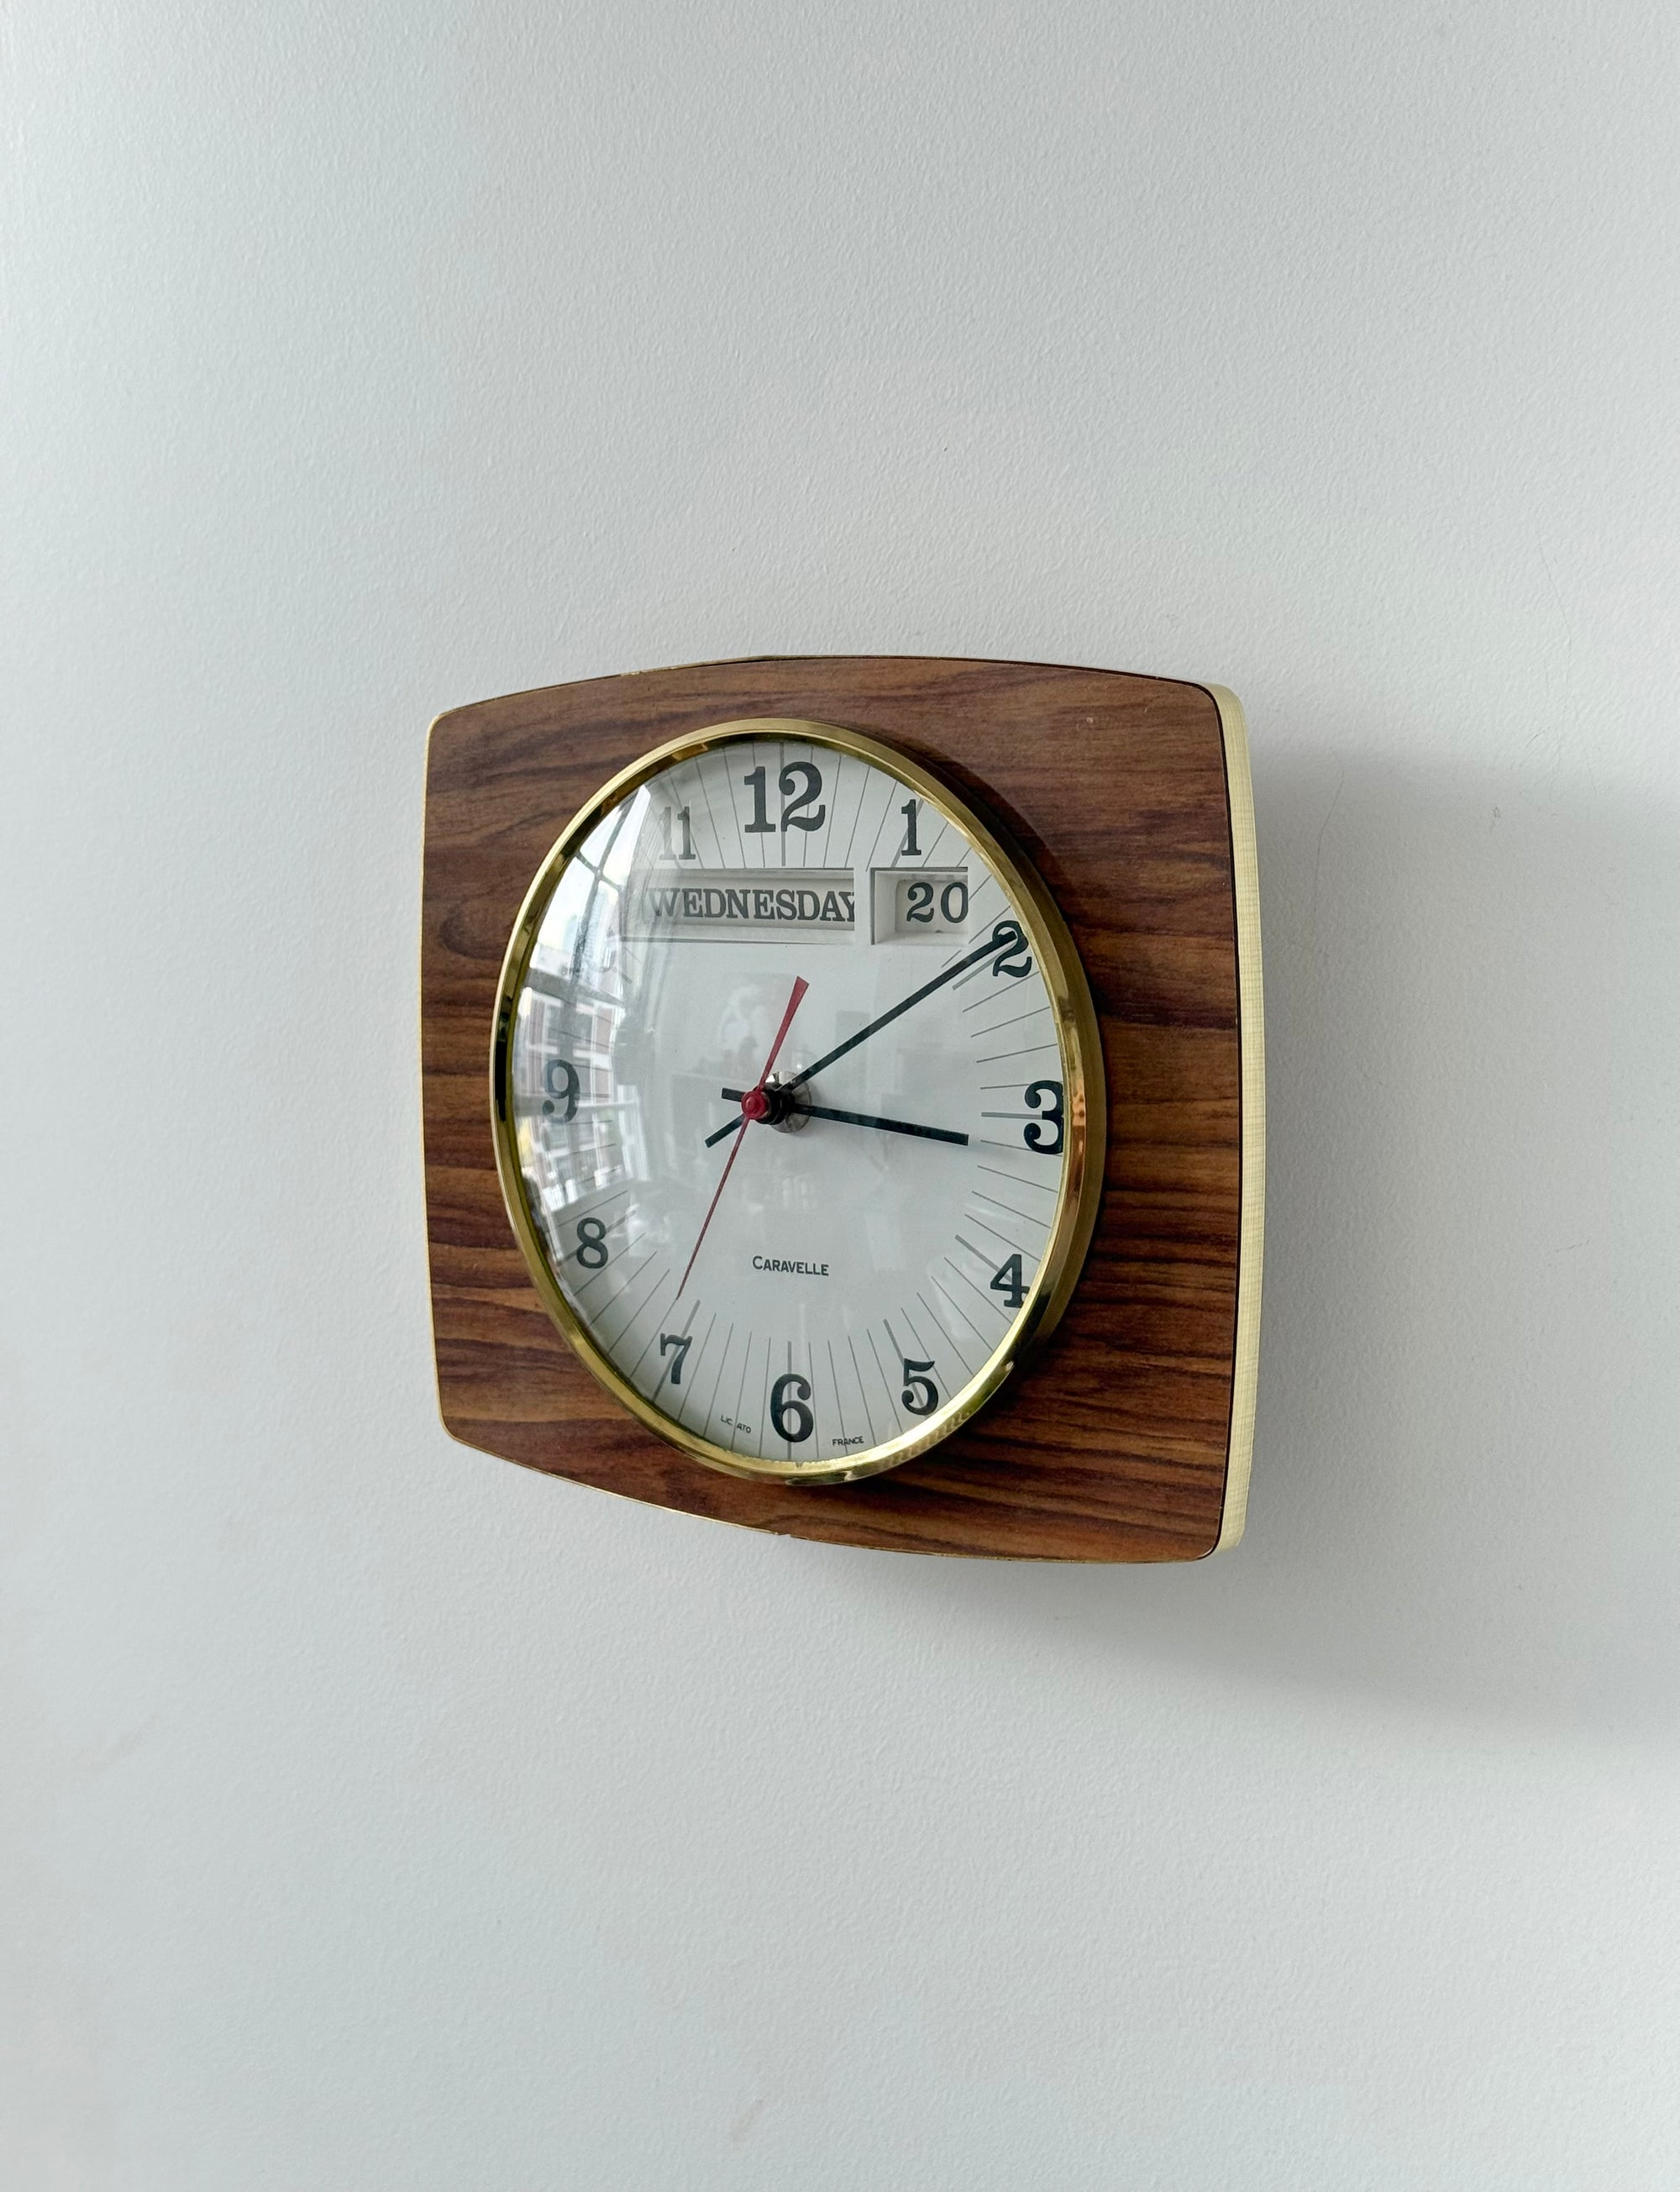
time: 3:09
